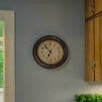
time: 6:53
